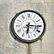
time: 6:15
